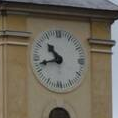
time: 10:42
